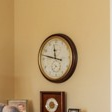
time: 11:47
